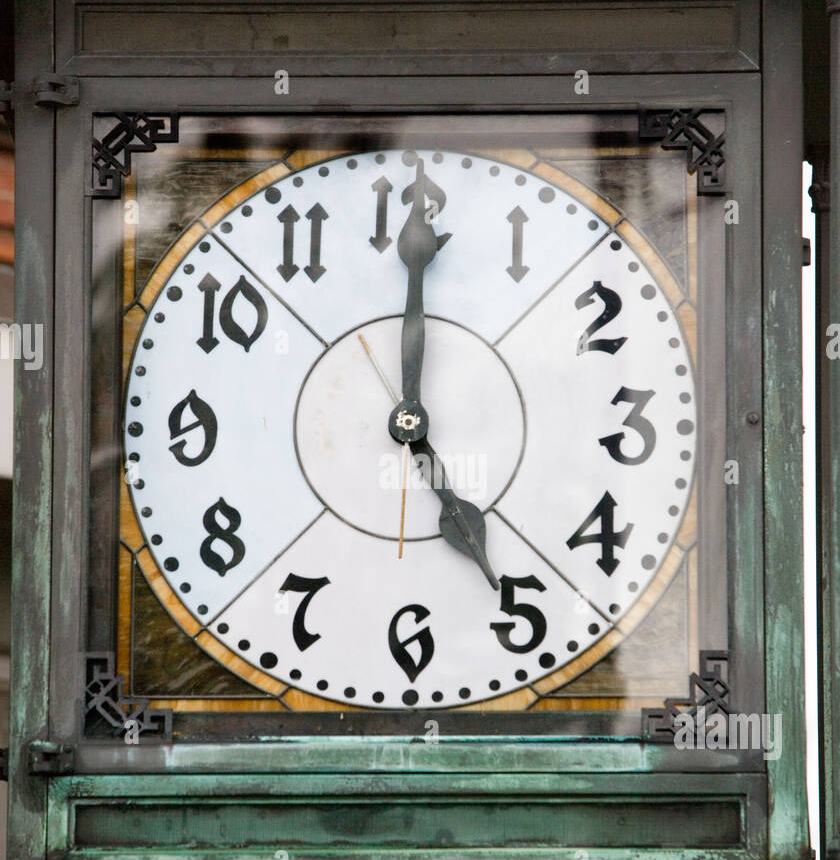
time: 5:00
